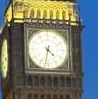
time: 4:31
